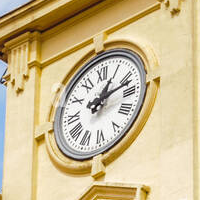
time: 1:12
